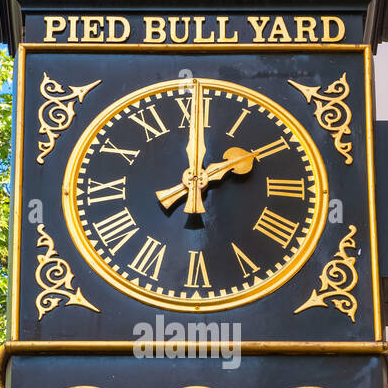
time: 2:00
